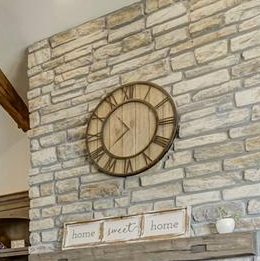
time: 7:53
